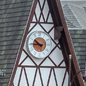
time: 10:45
